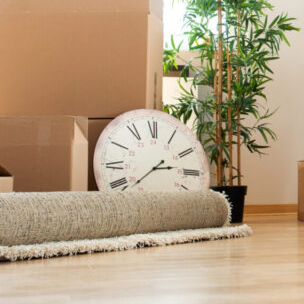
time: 2:38
